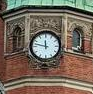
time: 11:47
